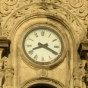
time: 8:19
